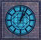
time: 1:02
